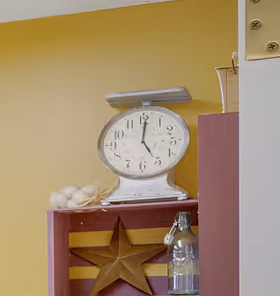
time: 5:00
